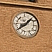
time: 8:07
